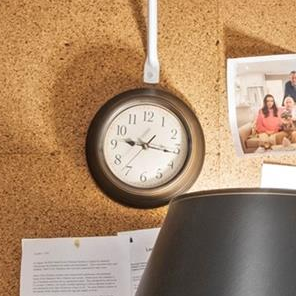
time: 9:16
